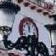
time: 11:56
